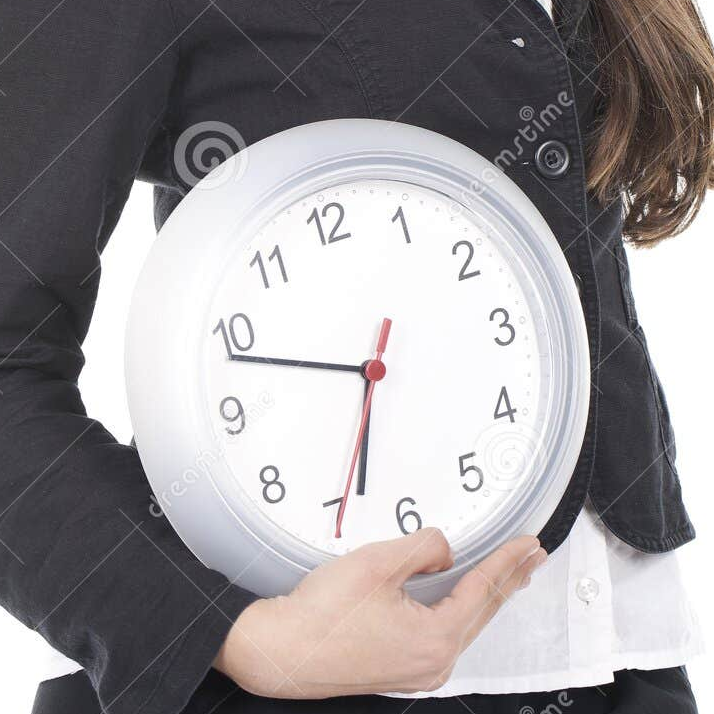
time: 6:48
